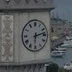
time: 6:13
